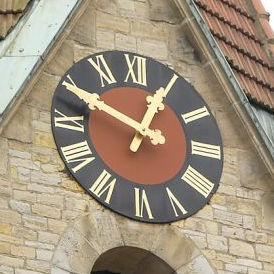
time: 12:49
